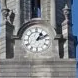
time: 1:11
